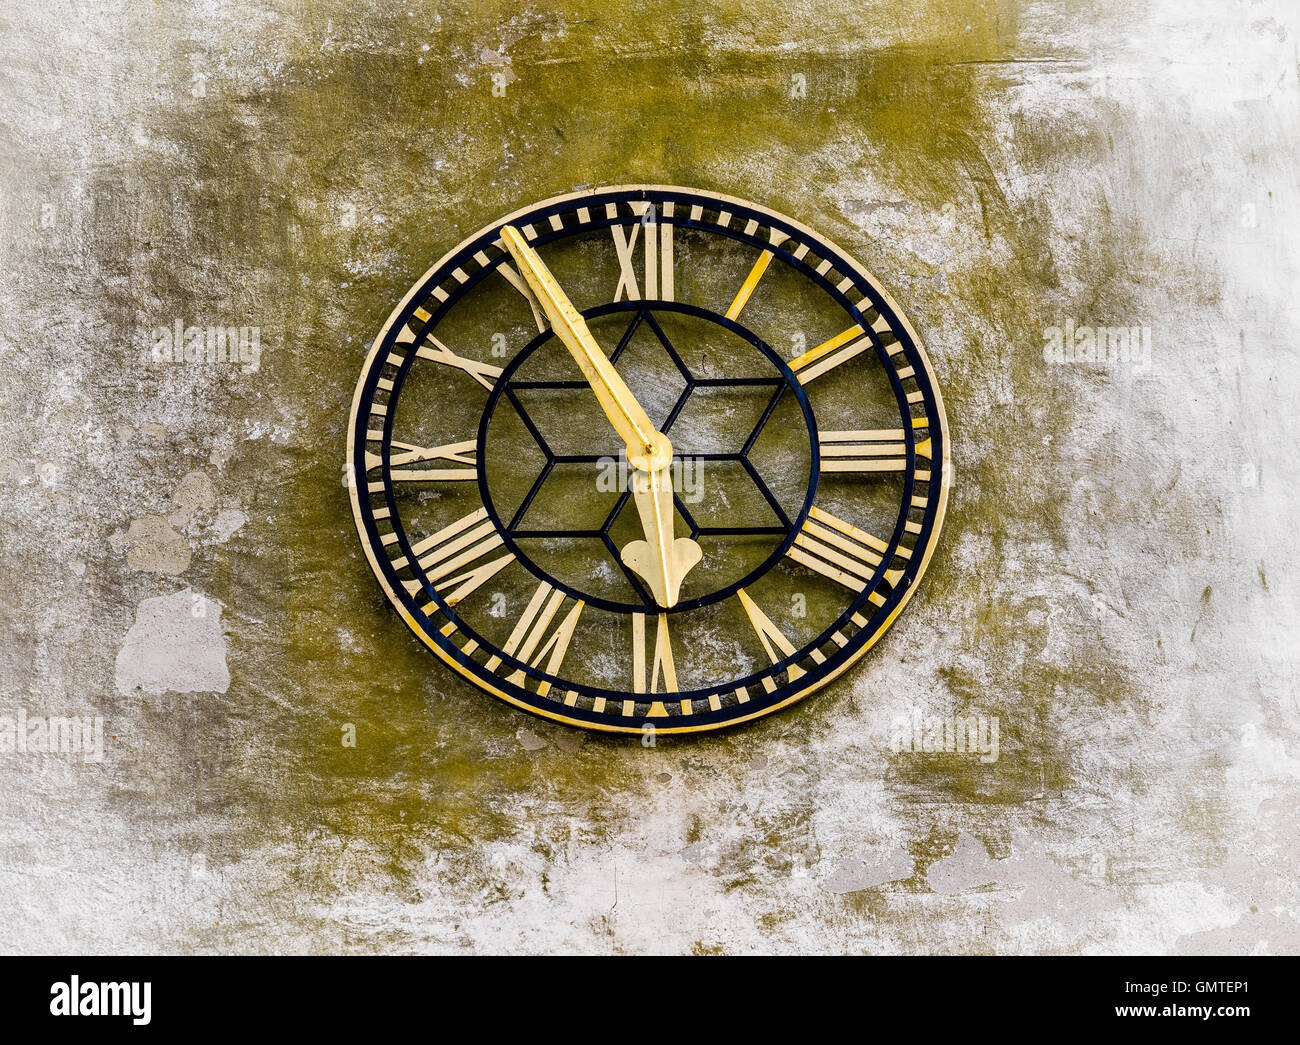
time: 5:54
